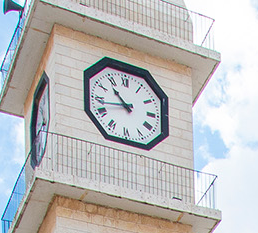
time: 10:42
